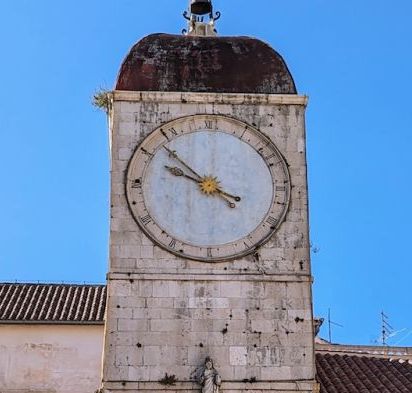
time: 9:52
